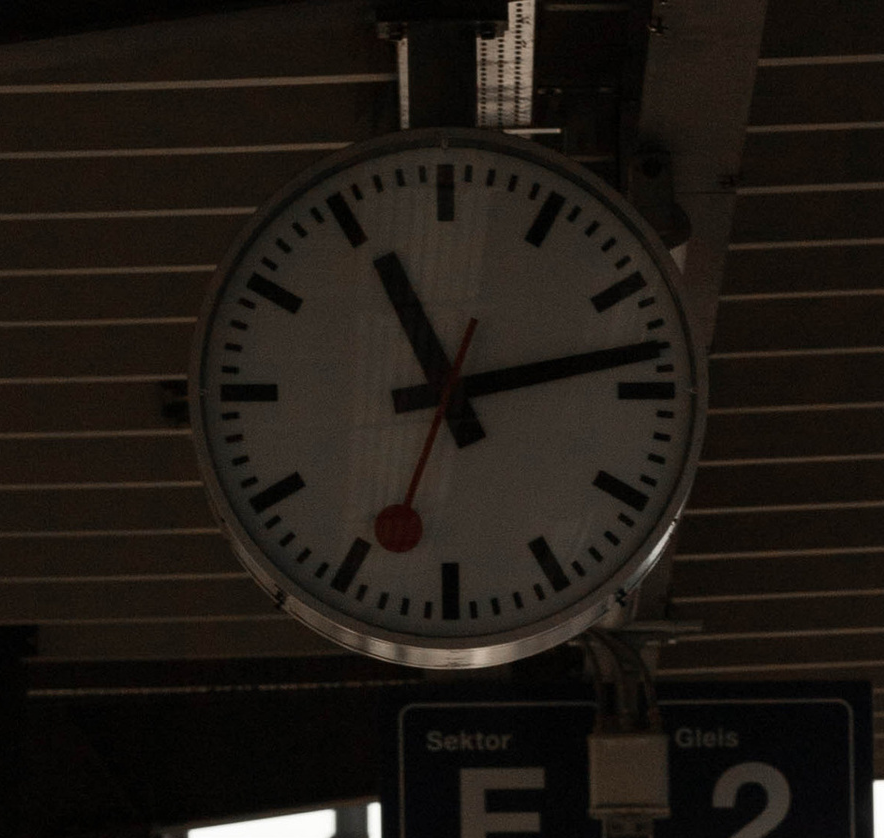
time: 11:13
